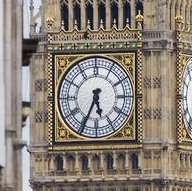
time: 5:34
